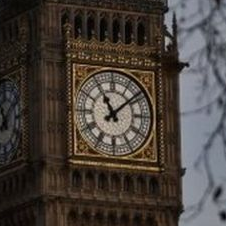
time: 11:08
